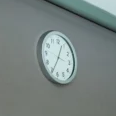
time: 12:34
